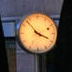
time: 3:53
